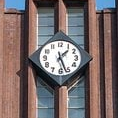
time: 1:26
